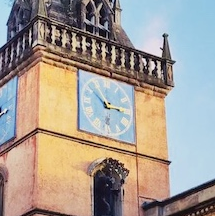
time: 10:14
